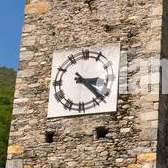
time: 3:22
